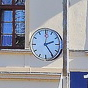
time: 2:24
